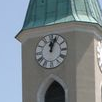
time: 12:03
